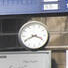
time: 3:40
